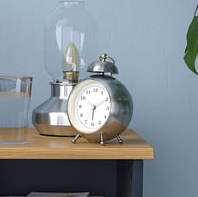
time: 6:10
